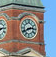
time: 2:40
